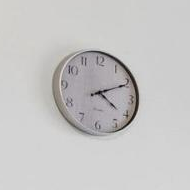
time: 4:10
